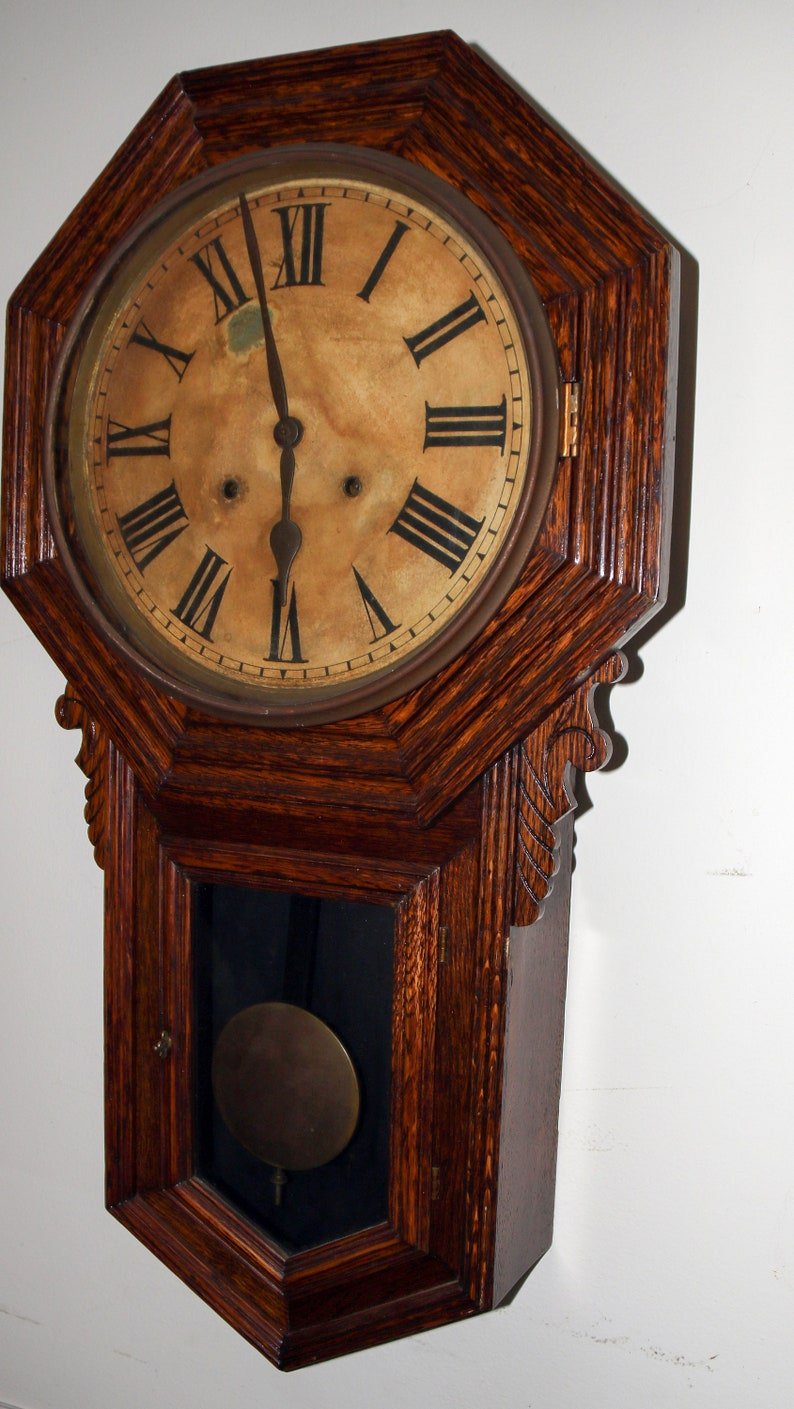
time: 5:57
